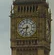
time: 8:32
